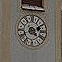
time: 2:21
